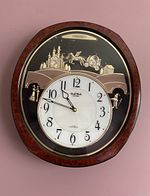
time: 10:47
